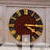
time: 4:14
